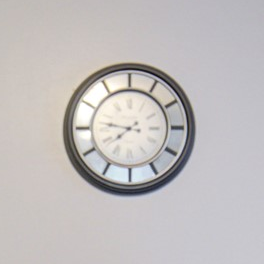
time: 7:46
